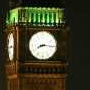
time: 8:16
